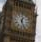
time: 12:26
